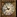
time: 10:42
